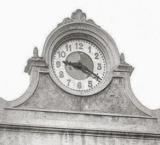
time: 9:20
